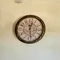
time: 12:28
